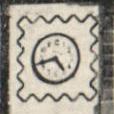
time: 4:42
